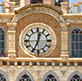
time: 12:34
